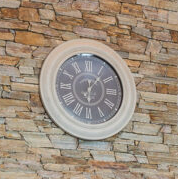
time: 6:06
